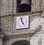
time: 4:57
